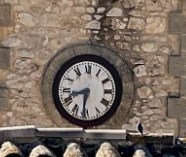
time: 8:31
